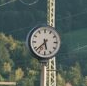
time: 5:37
